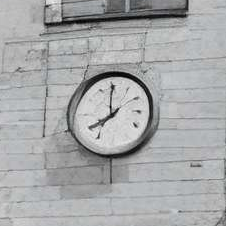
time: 7:59
